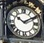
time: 10:10
